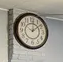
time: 12:08
